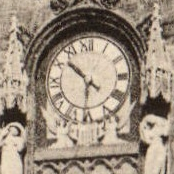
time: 10:30
